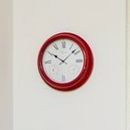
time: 10:07
